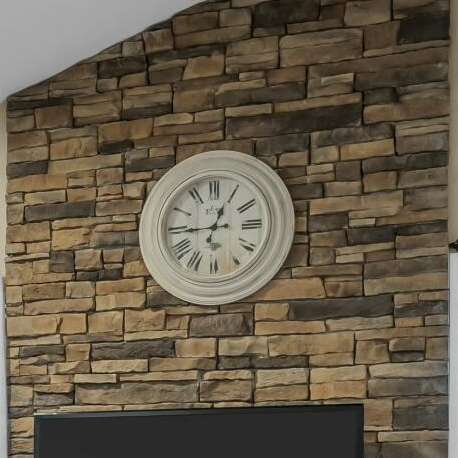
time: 12:45
